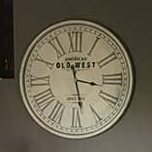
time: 3:28
